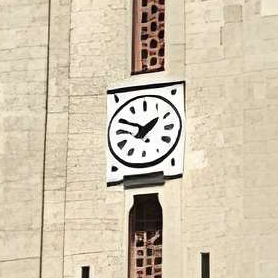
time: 1:49
